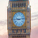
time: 9:13
